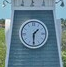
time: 1:30
